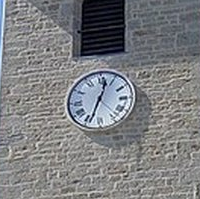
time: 12:33
